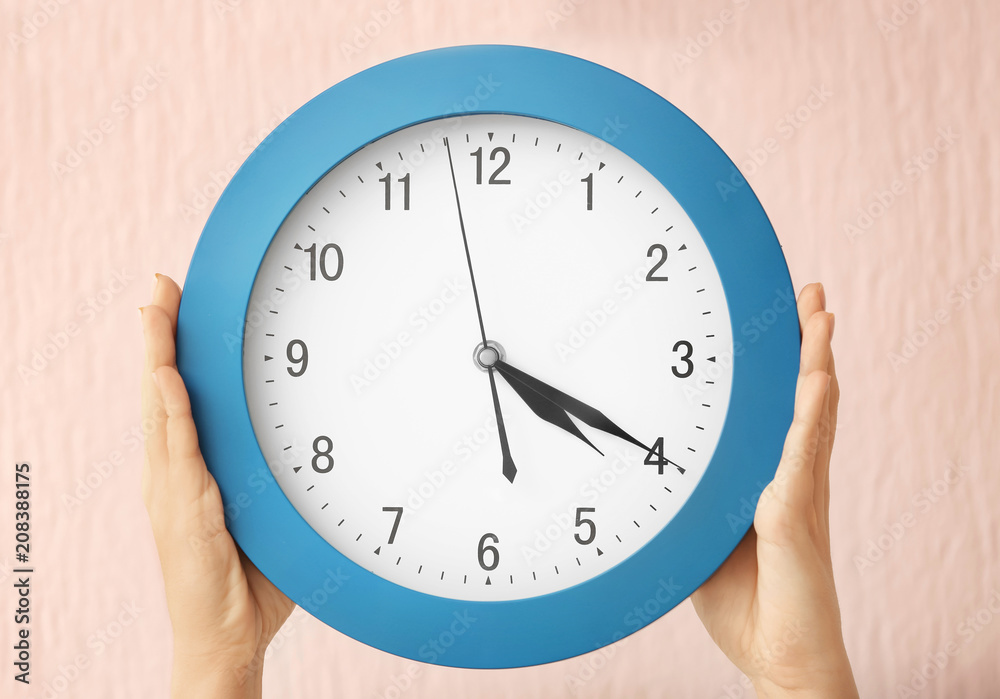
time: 4:19
